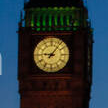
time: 9:06
